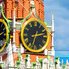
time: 2:32
